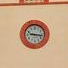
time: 9:16
